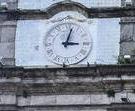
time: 3:02
